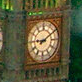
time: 9:09
